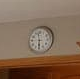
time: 5:57
